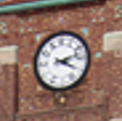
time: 4:12
